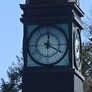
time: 12:19
